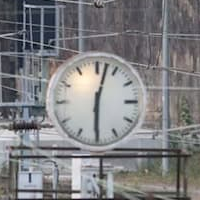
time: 6:02
